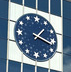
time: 1:17
